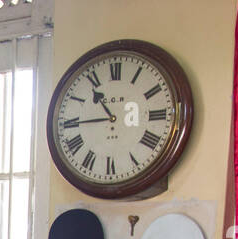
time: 10:44
